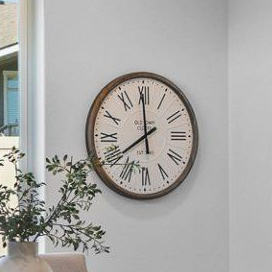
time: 7:59
